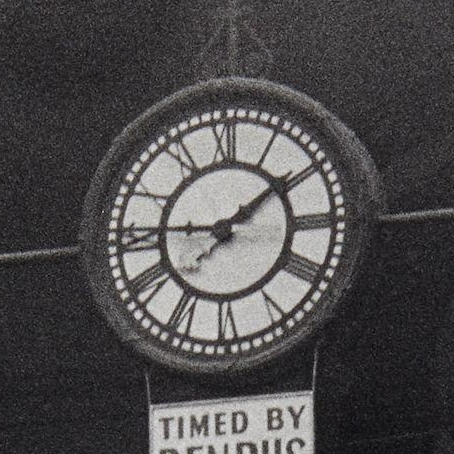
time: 1:45
